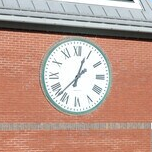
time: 2:03
